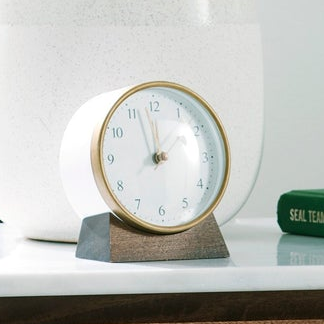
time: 7:58
